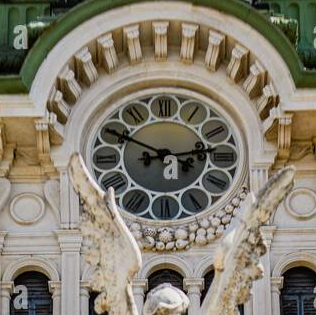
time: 2:49
